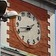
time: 1:42
